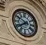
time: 7:50
